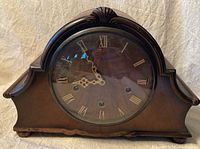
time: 8:54
